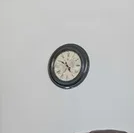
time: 4:50
